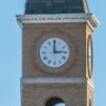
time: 2:59
